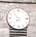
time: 7:53
